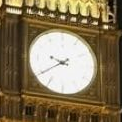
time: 9:39
